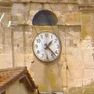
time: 1:22
